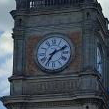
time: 7:11
